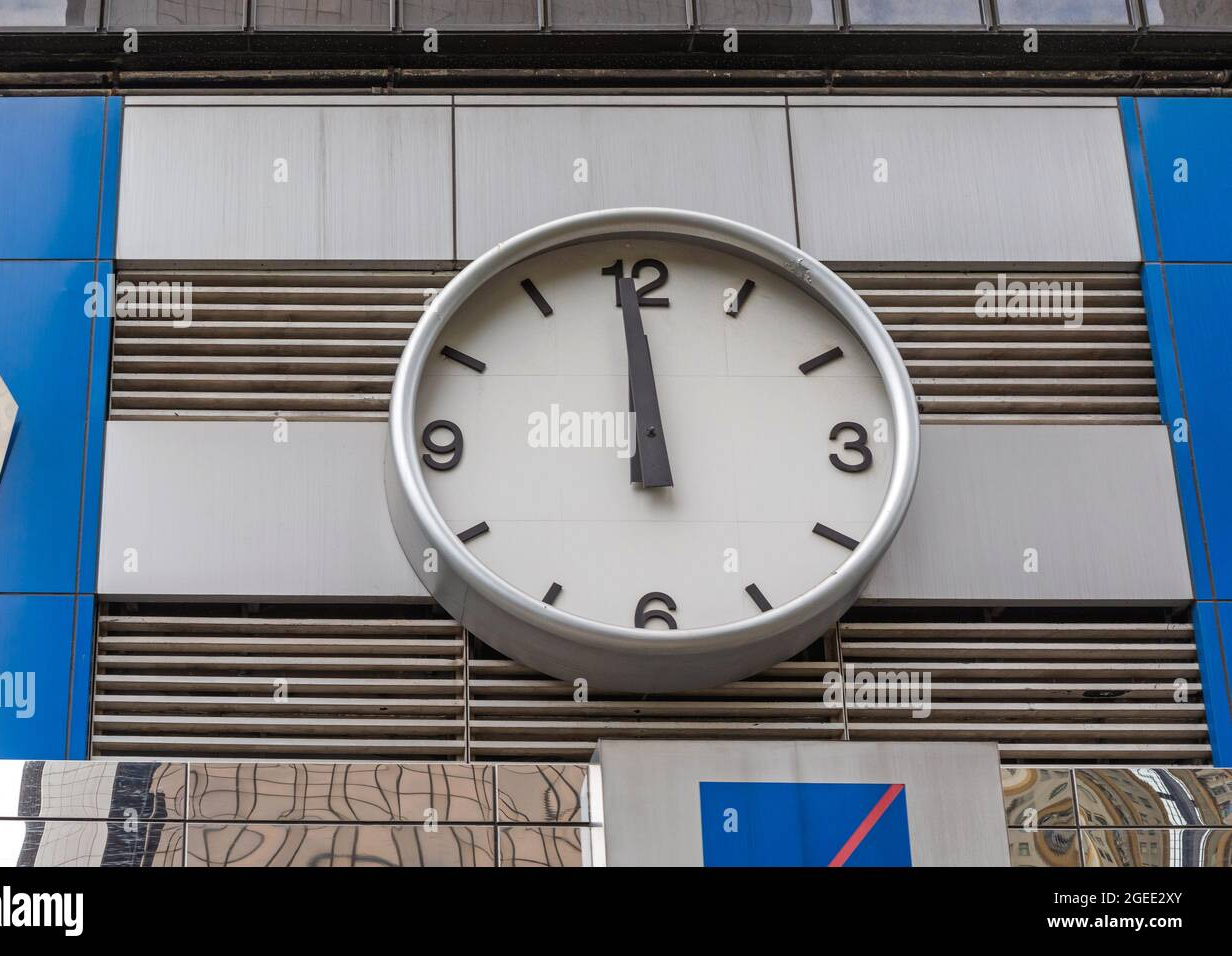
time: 11:59
